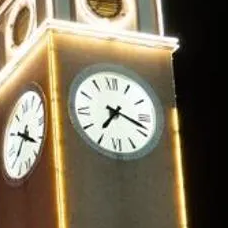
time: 7:18
